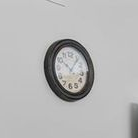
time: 10:06
